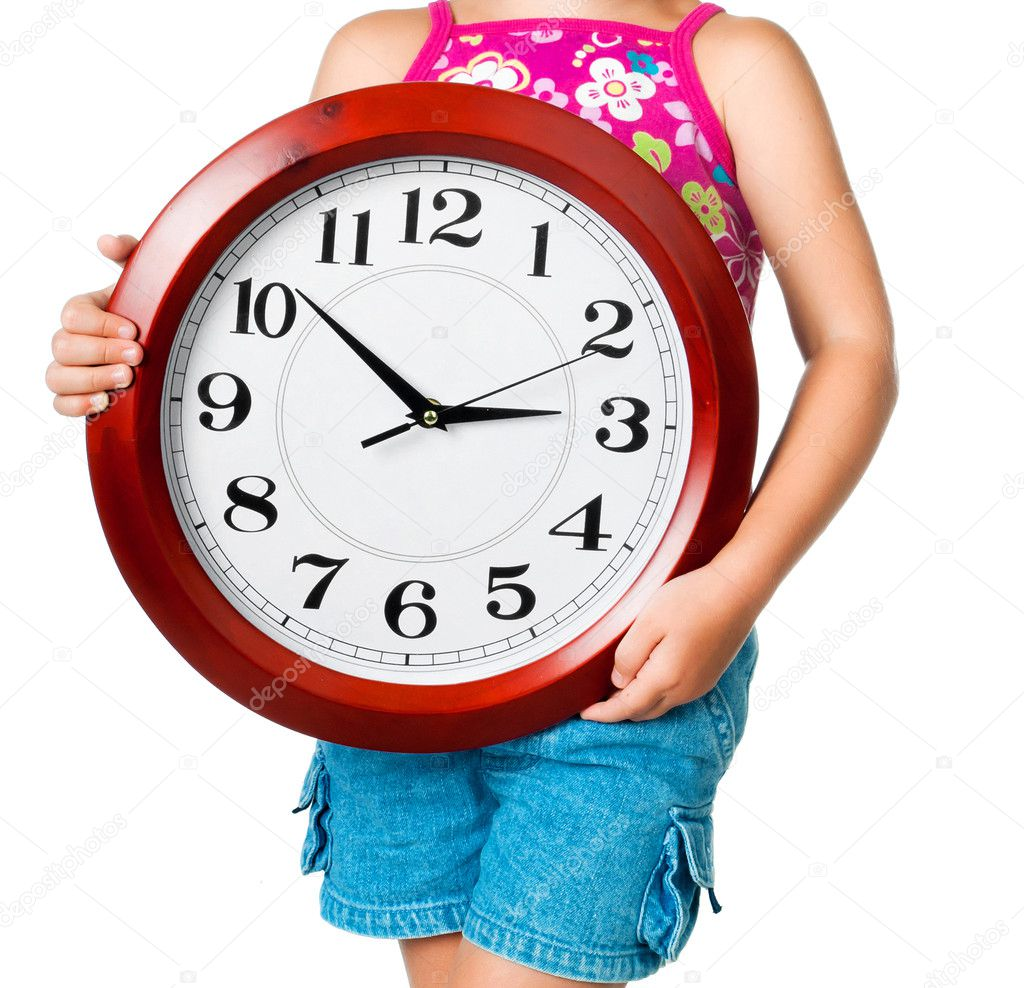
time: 2:51
